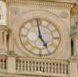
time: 4:58
